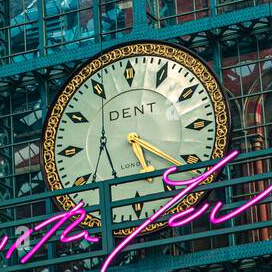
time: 5:21
